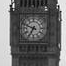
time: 6:48
